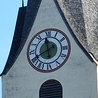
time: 11:40
